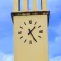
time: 1:25
